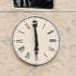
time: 5:59
